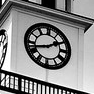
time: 1:42
